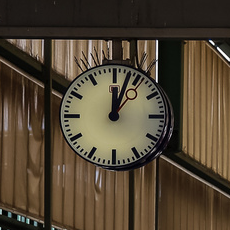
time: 12:03
